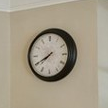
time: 7:40
